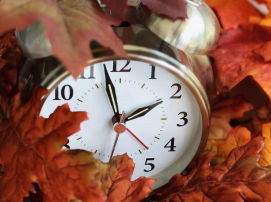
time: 1:57
